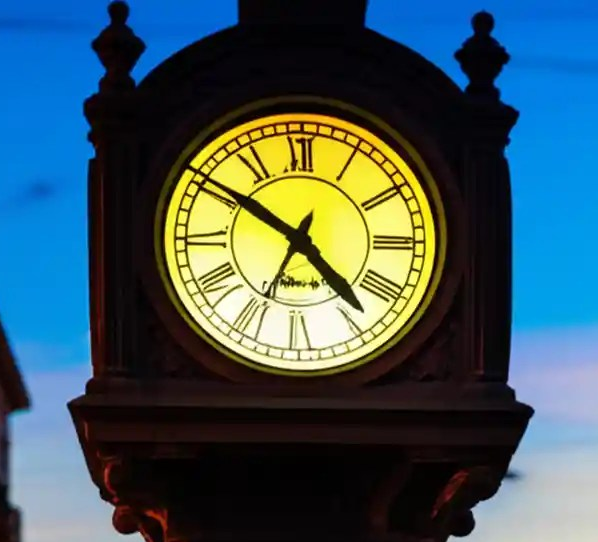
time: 4:34
